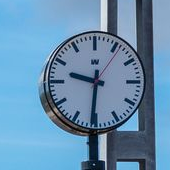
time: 9:31
